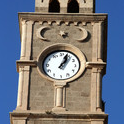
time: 1:03
